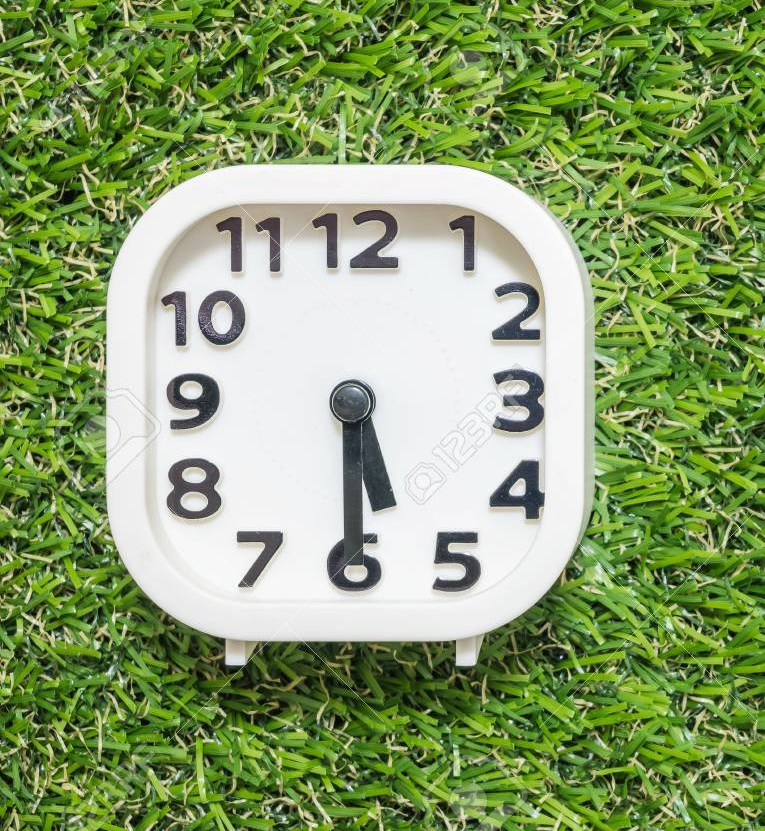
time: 5:29
